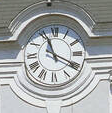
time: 11:19
